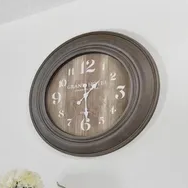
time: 1:29
